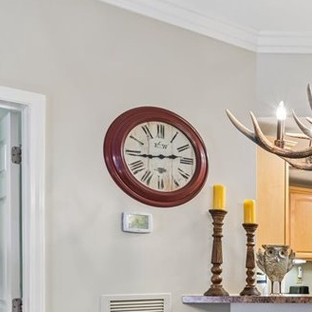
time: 2:44
